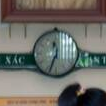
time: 11:33
